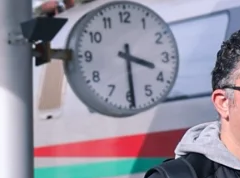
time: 3:29
